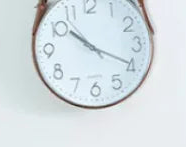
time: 10:19
